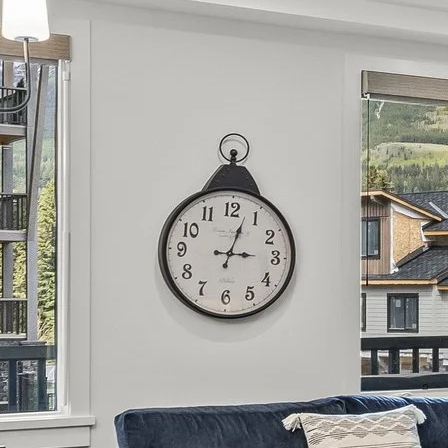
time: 3:02
